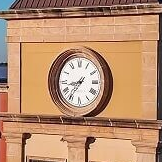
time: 8:36
